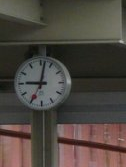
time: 9:01
